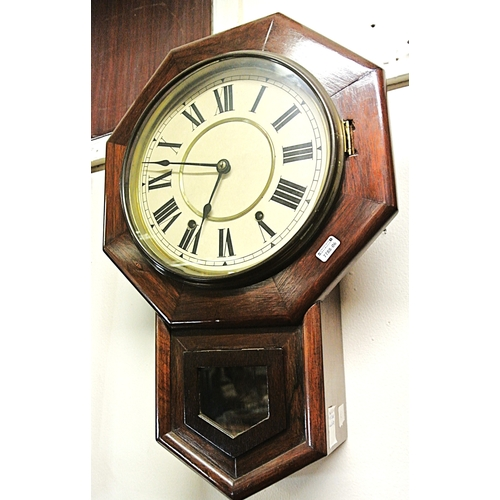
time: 6:47
